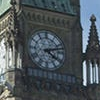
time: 4:12
